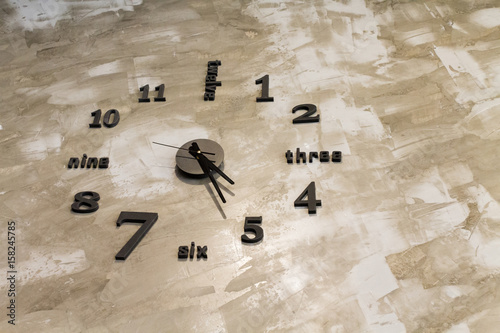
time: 4:26
